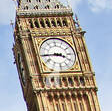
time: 3:44
